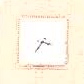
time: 3:35
